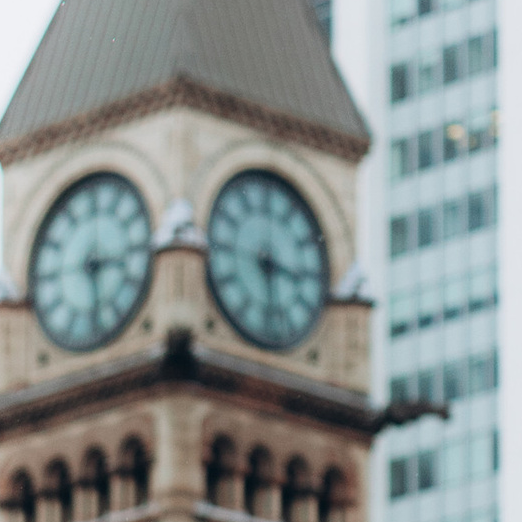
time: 3:28
